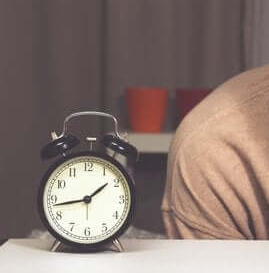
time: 1:43
